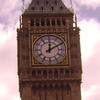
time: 12:10
